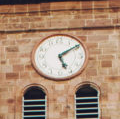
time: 5:09
